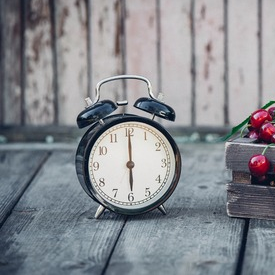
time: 6:00
